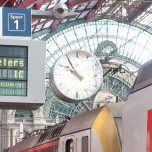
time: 9:54
